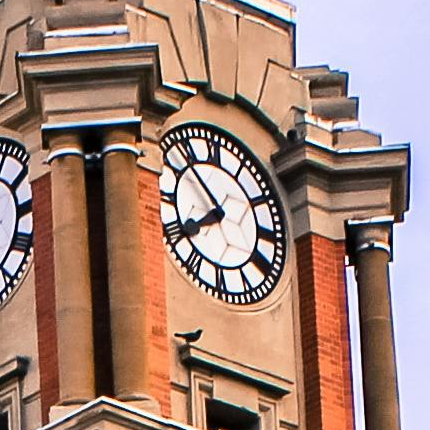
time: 7:53
